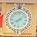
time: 8:07
